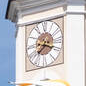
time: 7:18
